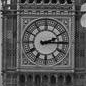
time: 2:15
